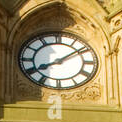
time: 8:09
